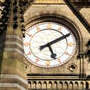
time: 5:09
